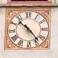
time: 10:23
